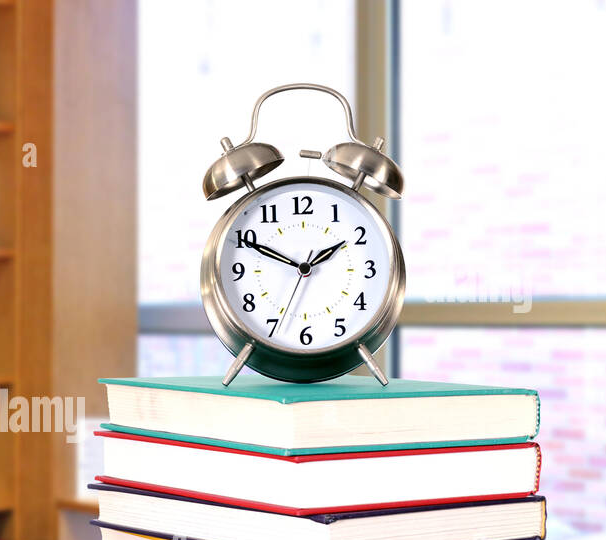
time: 1:49
